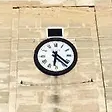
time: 6:21
